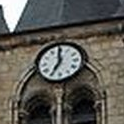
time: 6:59
